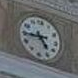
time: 4:44
